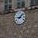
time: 9:07
